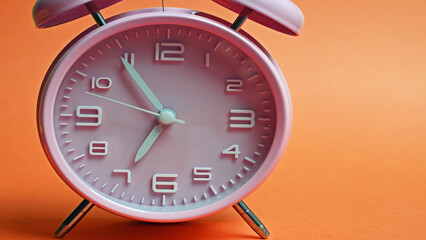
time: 6:54
